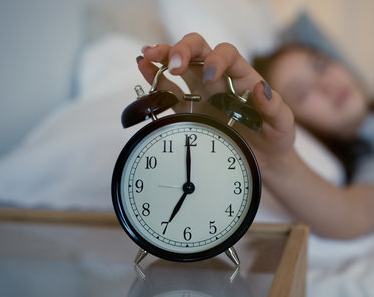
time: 6:59
